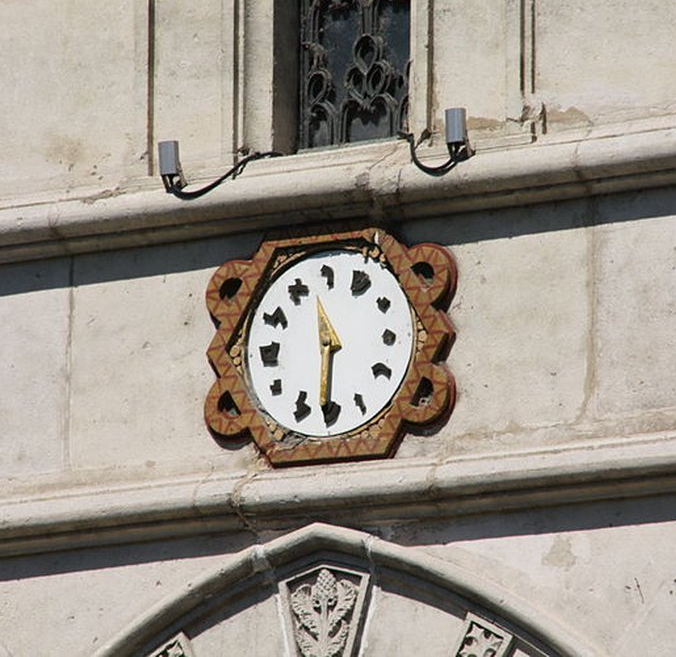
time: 11:30
